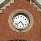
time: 4:37
